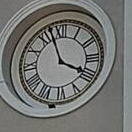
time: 3:57
